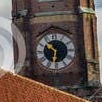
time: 10:32
